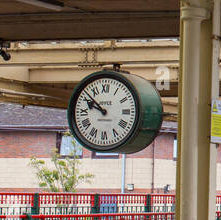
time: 9:51
